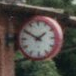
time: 1:50
